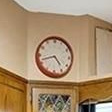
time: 4:42
